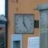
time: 4:59
